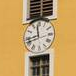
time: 11:42
